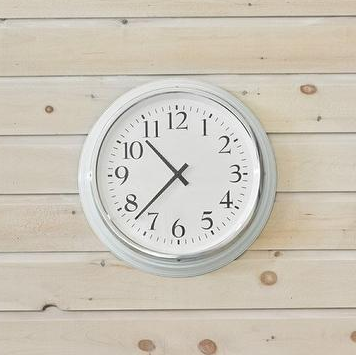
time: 10:37
